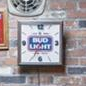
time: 2:34
